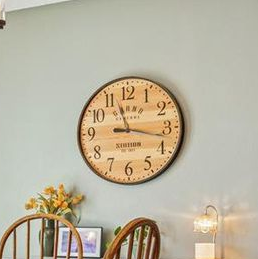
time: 11:17
